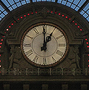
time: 12:59
